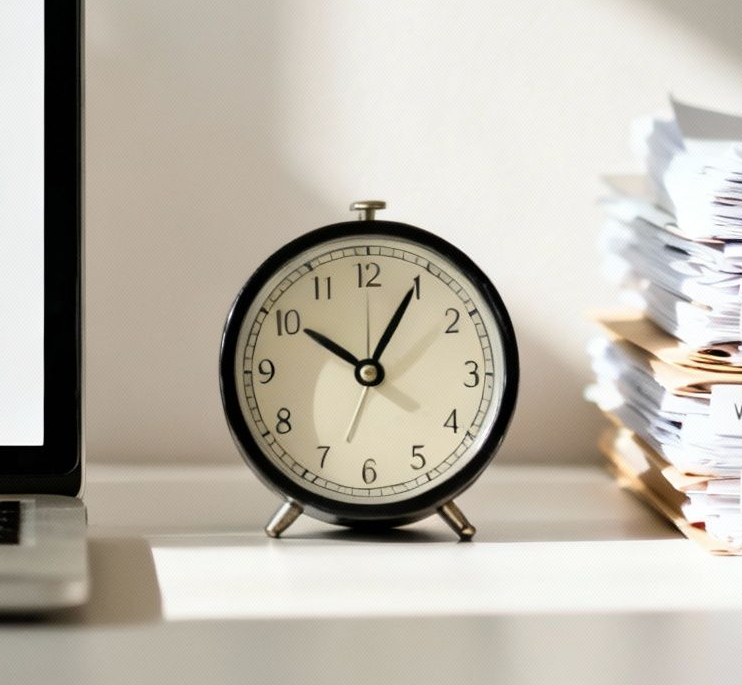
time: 10:04
